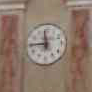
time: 11:44
